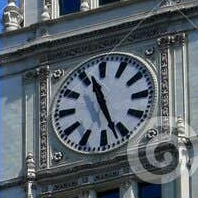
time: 11:26
